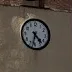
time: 4:32
